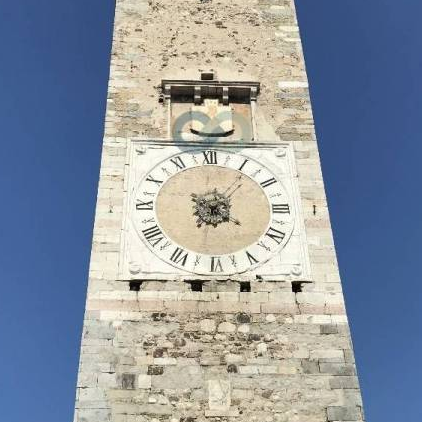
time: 4:06
